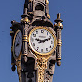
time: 9:11
